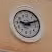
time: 9:10
